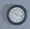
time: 10:17
